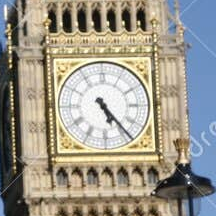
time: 5:23
